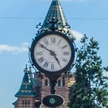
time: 4:50
